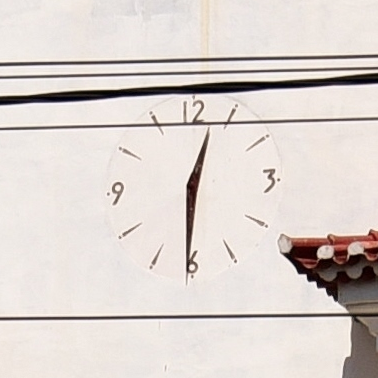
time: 12:30
